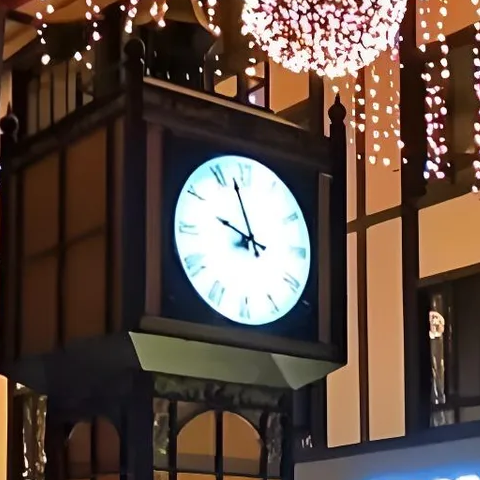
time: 9:57
